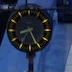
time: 8:25
